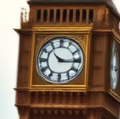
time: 10:15
